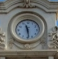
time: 11:28
